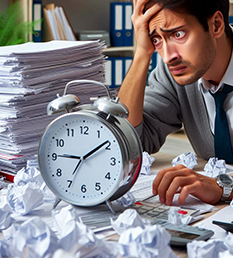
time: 9:09
